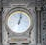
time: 1:02
